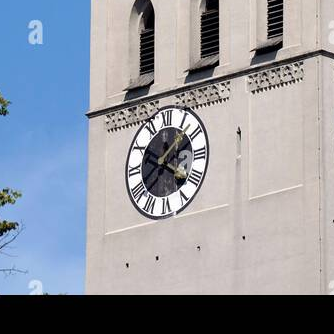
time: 1:37
